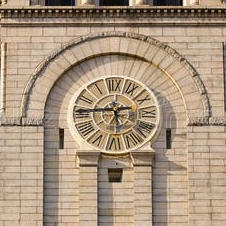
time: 5:45
